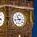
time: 10:42
